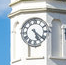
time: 5:21
